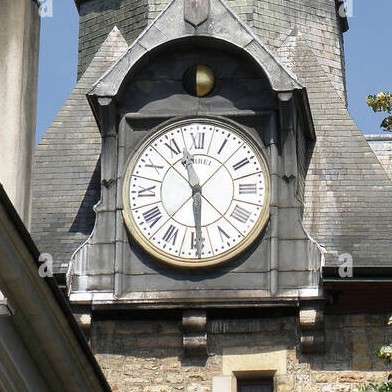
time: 5:56
